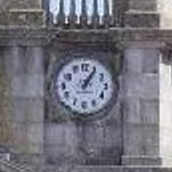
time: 1:05
